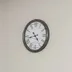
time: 4:42
